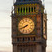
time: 7:41
